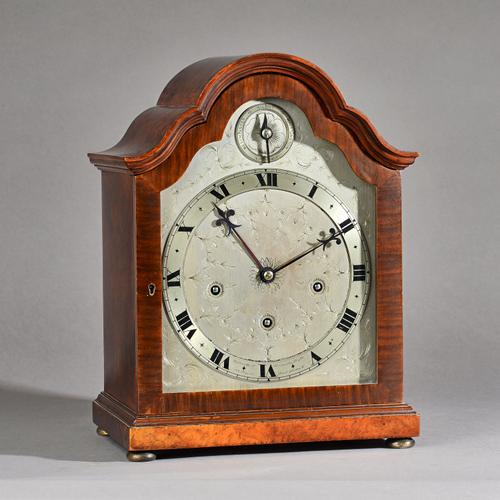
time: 1:53
